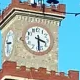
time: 3:29
